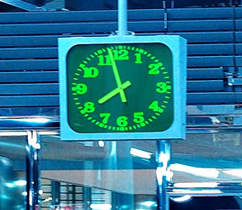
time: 7:57
